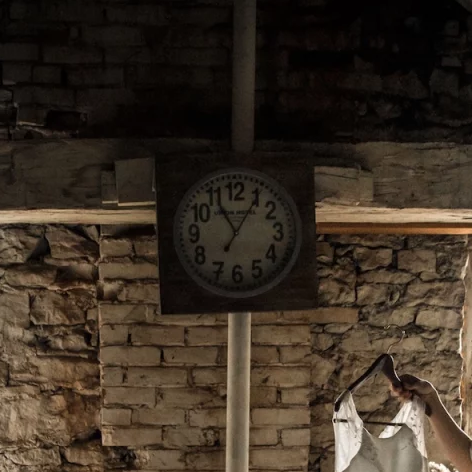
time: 11:05
